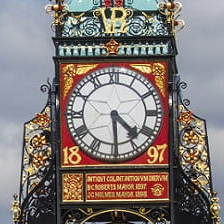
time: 4:29
